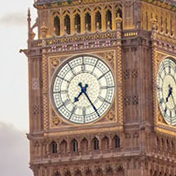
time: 7:24
